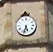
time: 5:32
